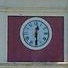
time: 12:29
